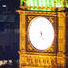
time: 4:36
